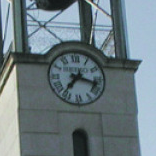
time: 7:17
